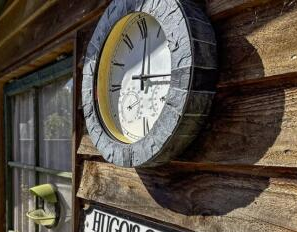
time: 12:16
